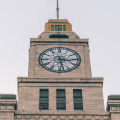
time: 3:28
